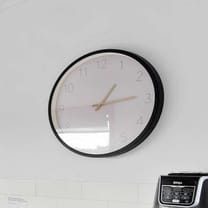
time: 1:14
